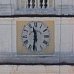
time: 11:31
